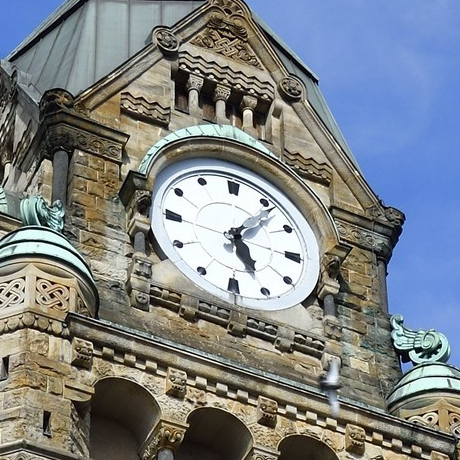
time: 5:06
